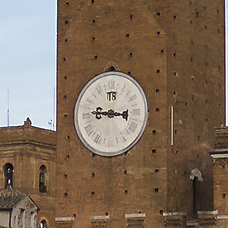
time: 8:45
